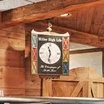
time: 11:32
